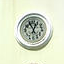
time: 12:55
